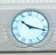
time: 10:17
